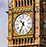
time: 10:34
